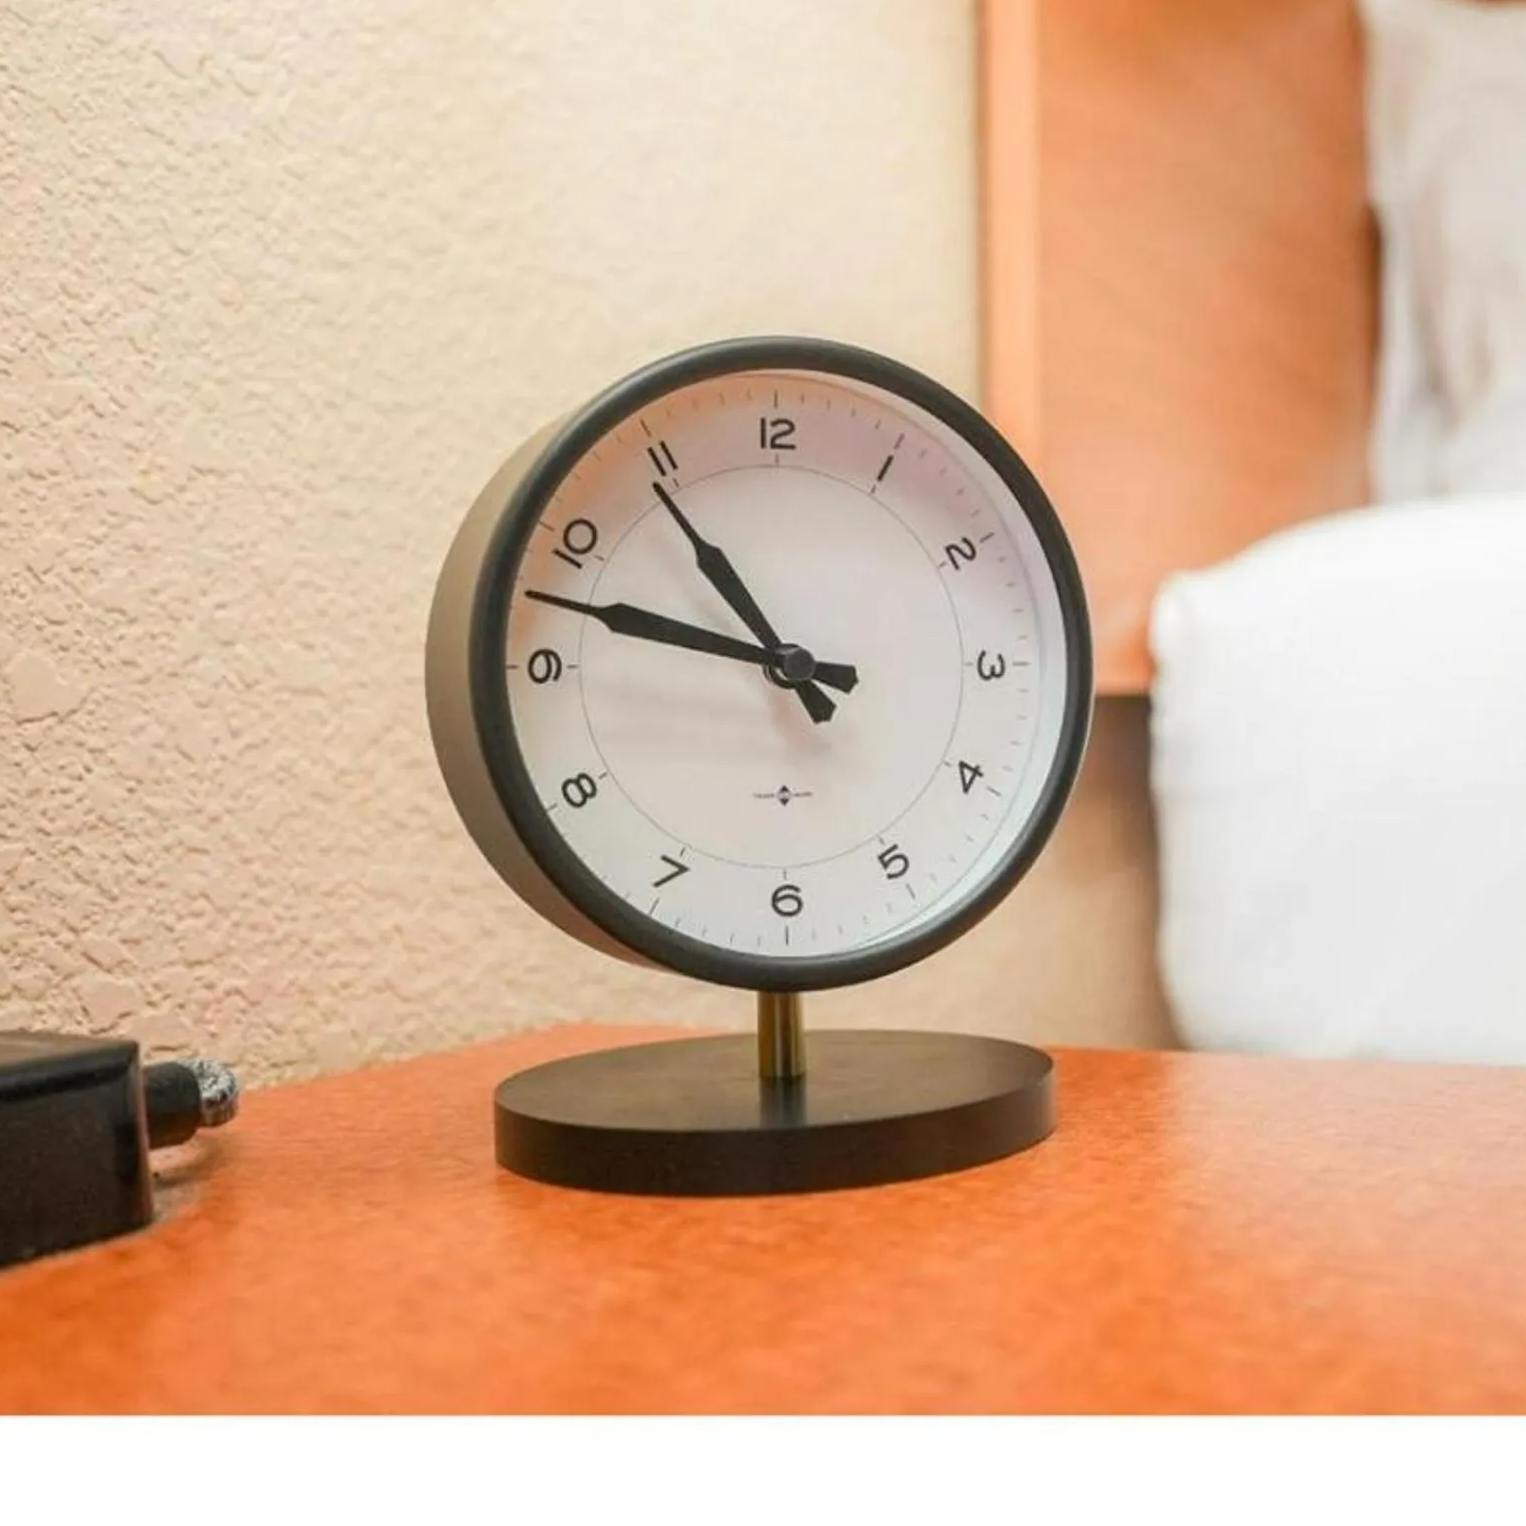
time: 10:47
